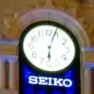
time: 6:03
